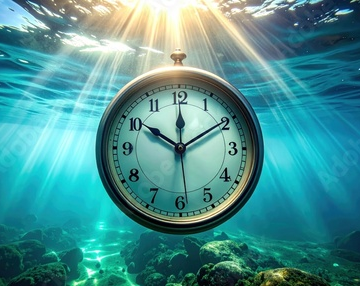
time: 10:09
